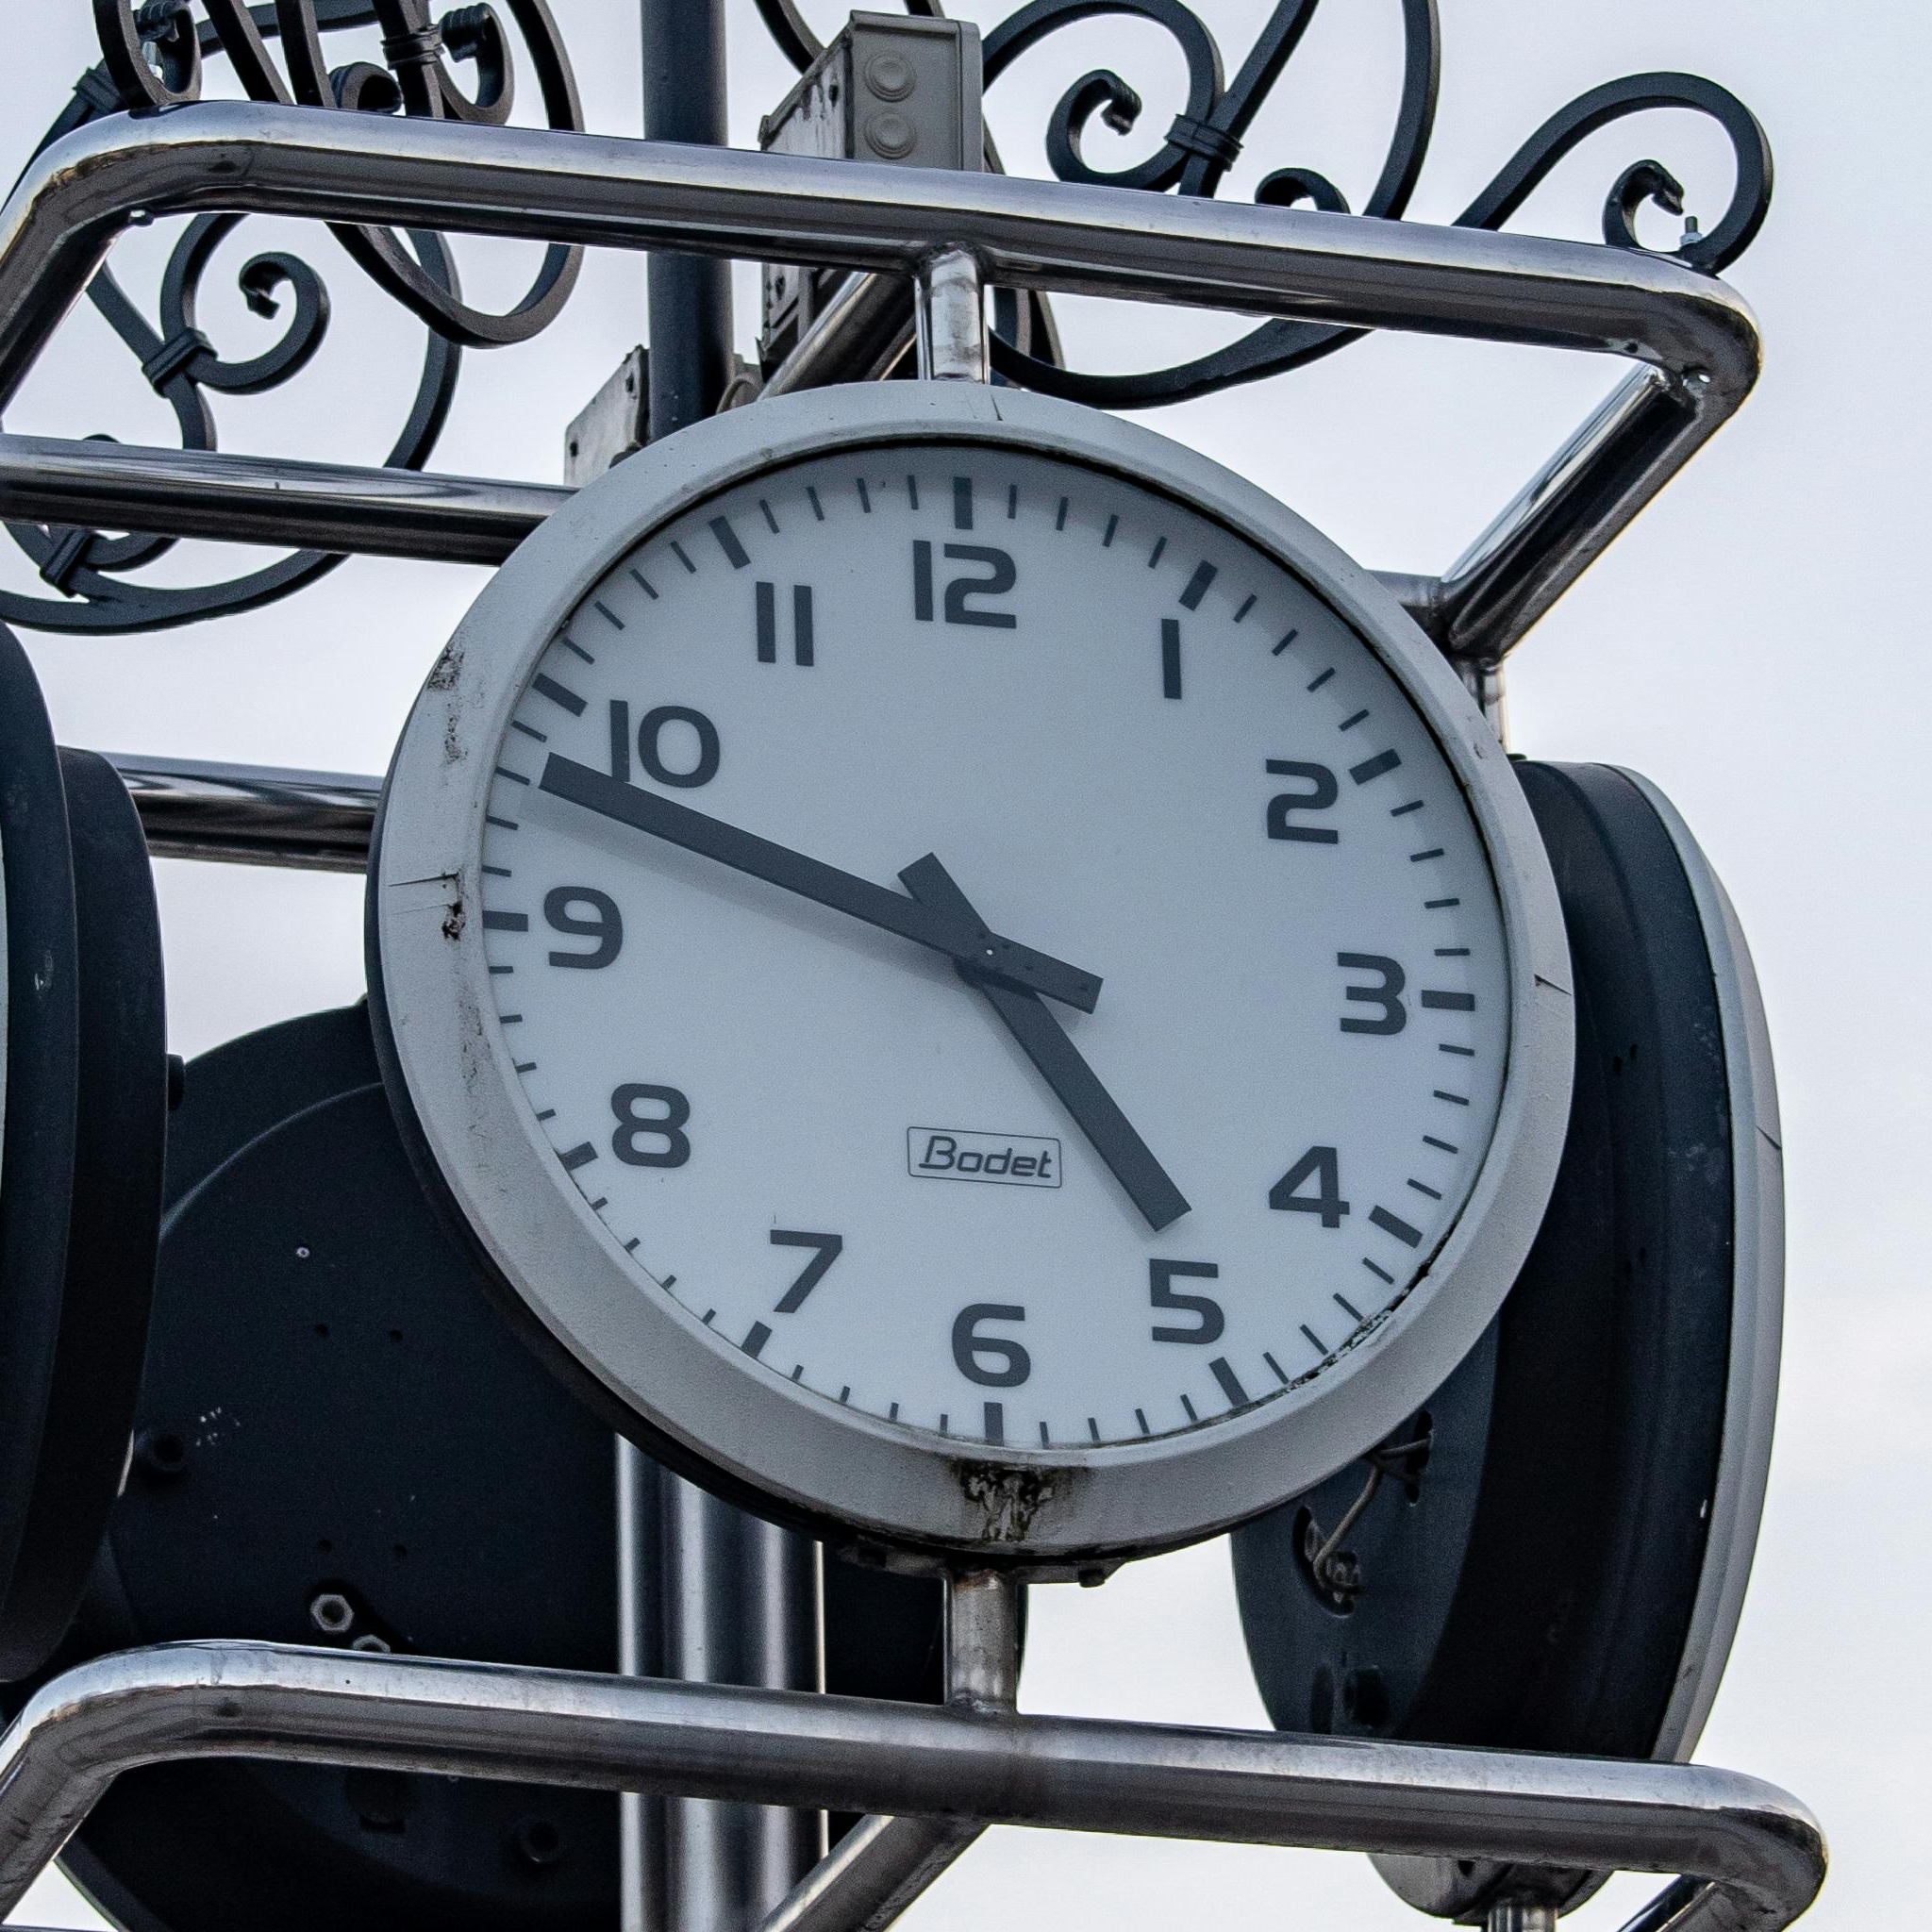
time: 4:48
